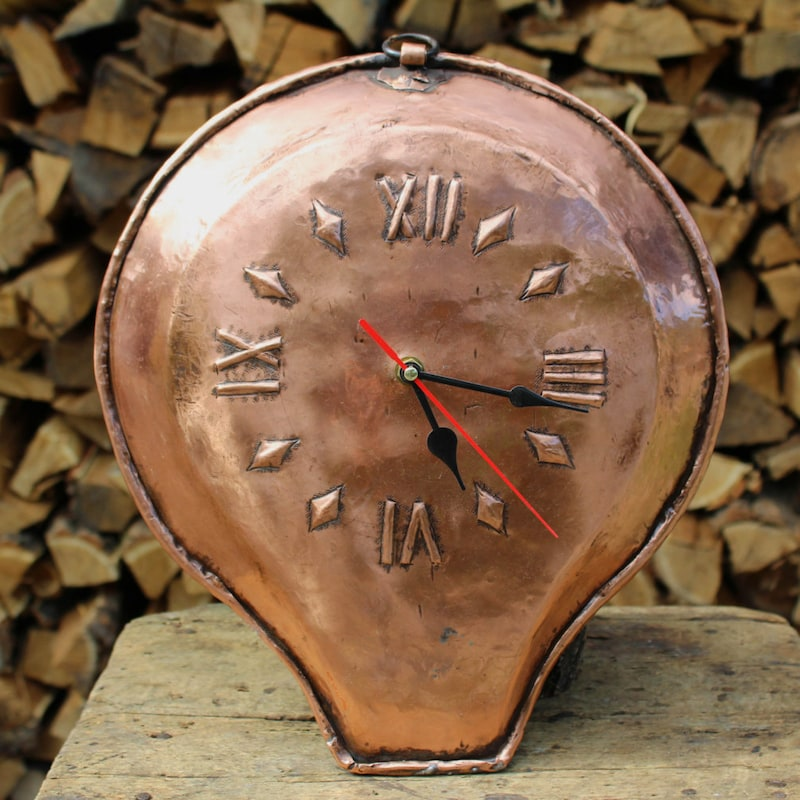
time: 5:17
